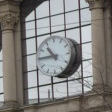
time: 10:45
